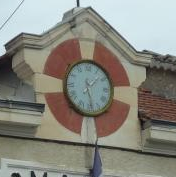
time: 1:28
